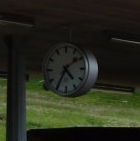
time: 4:35
